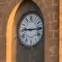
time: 9:15
